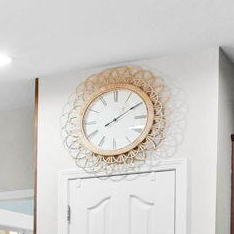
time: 8:09
